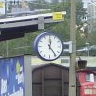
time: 12:23
